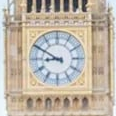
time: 8:49
